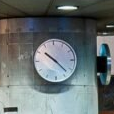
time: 10:22
